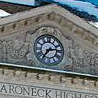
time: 2:36
